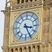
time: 3:25
